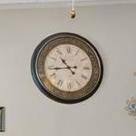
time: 10:43
